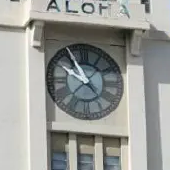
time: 9:54
